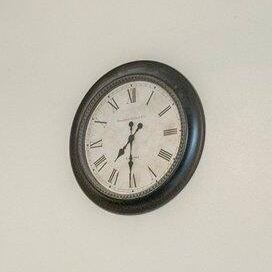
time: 7:30
